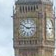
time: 2:50
